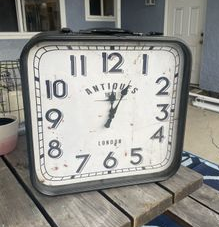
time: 12:04
